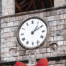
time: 1:09
